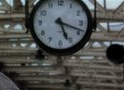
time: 5:18
